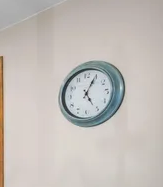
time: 5:04
